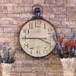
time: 3:45
